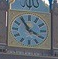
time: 3:54
